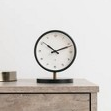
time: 10:11
